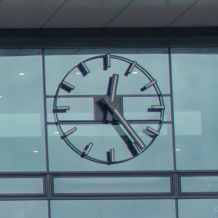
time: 12:24
